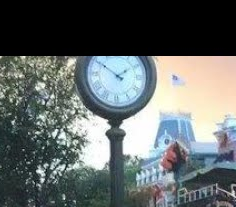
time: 1:50
